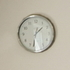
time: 1:32
